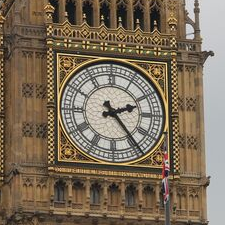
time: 2:23
